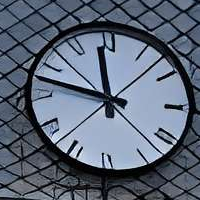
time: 11:46
